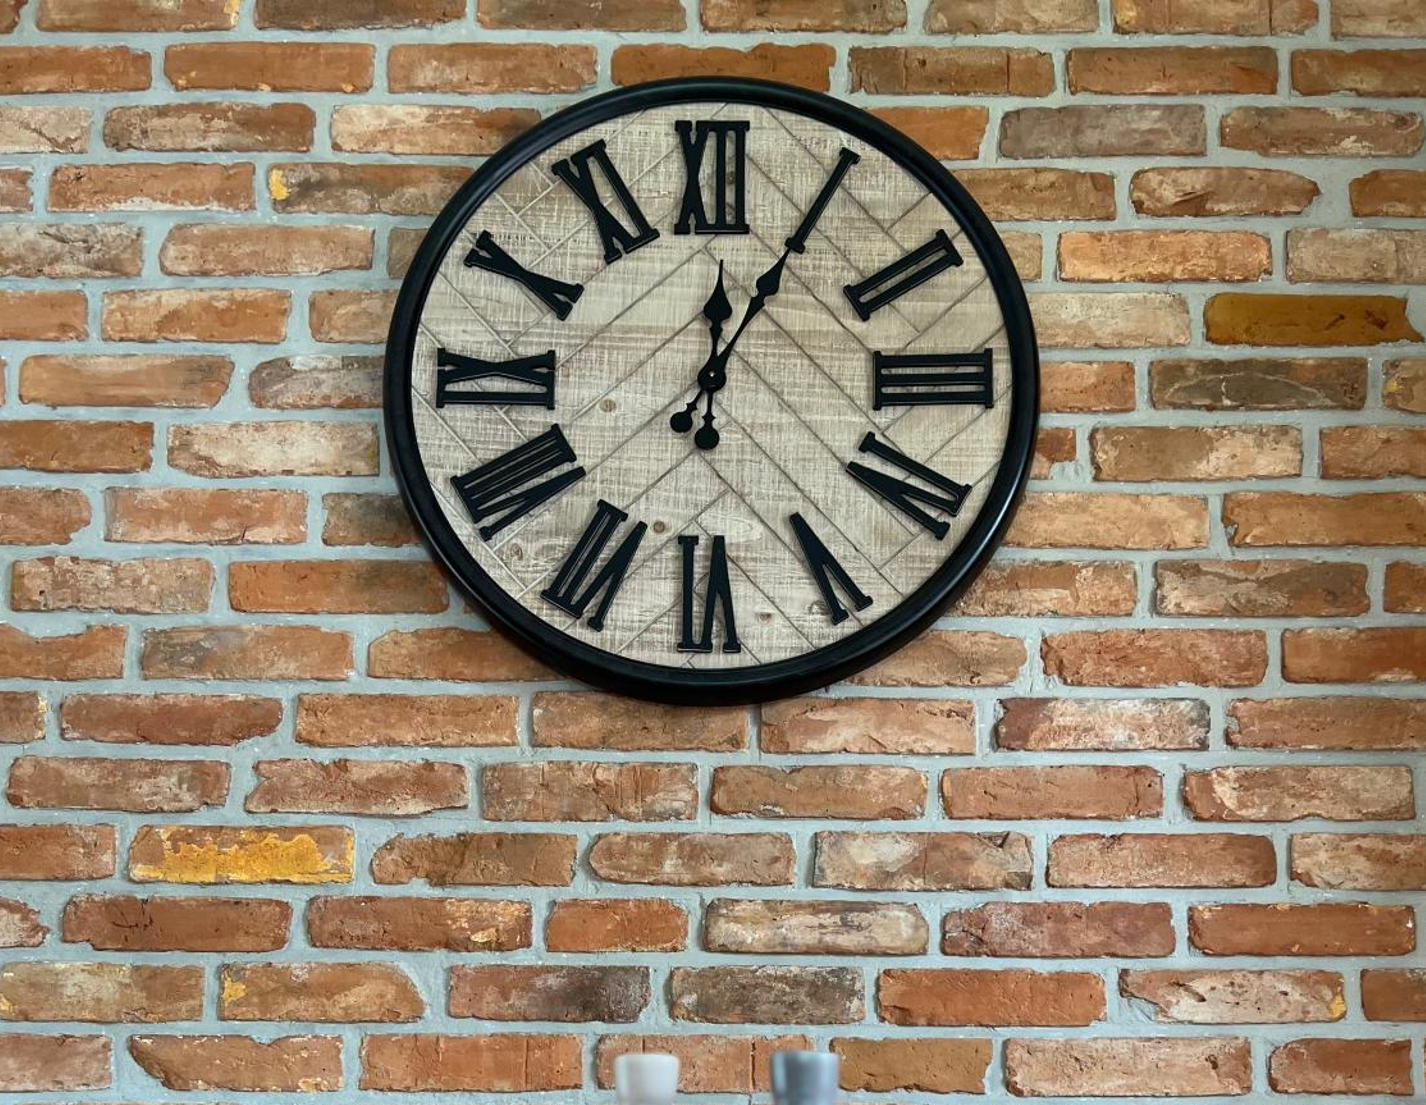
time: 12:04
